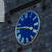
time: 3:46
